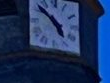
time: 4:50
